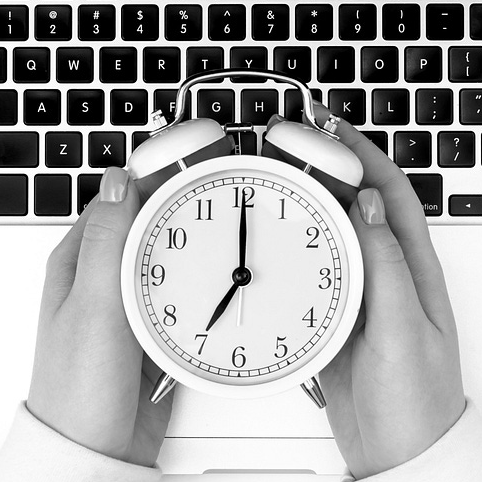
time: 7:00
